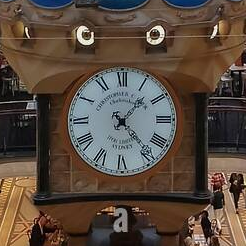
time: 1:23
